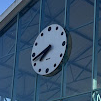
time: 7:42
